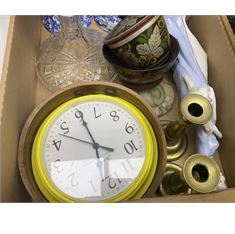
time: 3:55
